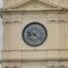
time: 9:22
